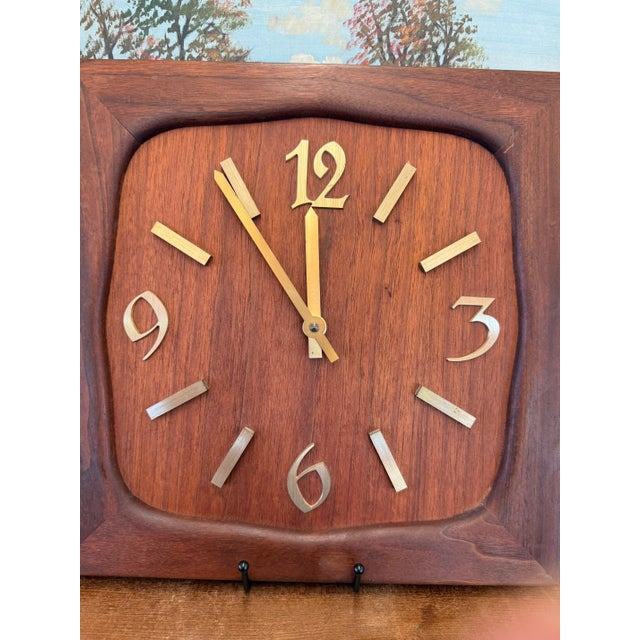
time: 11:54
